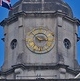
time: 2:52
